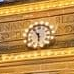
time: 5:54
